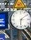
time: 6:08
